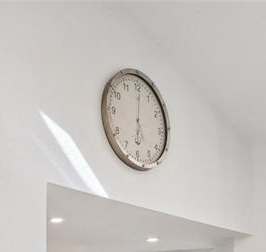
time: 6:00
